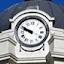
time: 9:50
